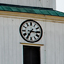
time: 7:15
